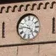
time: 4:46
